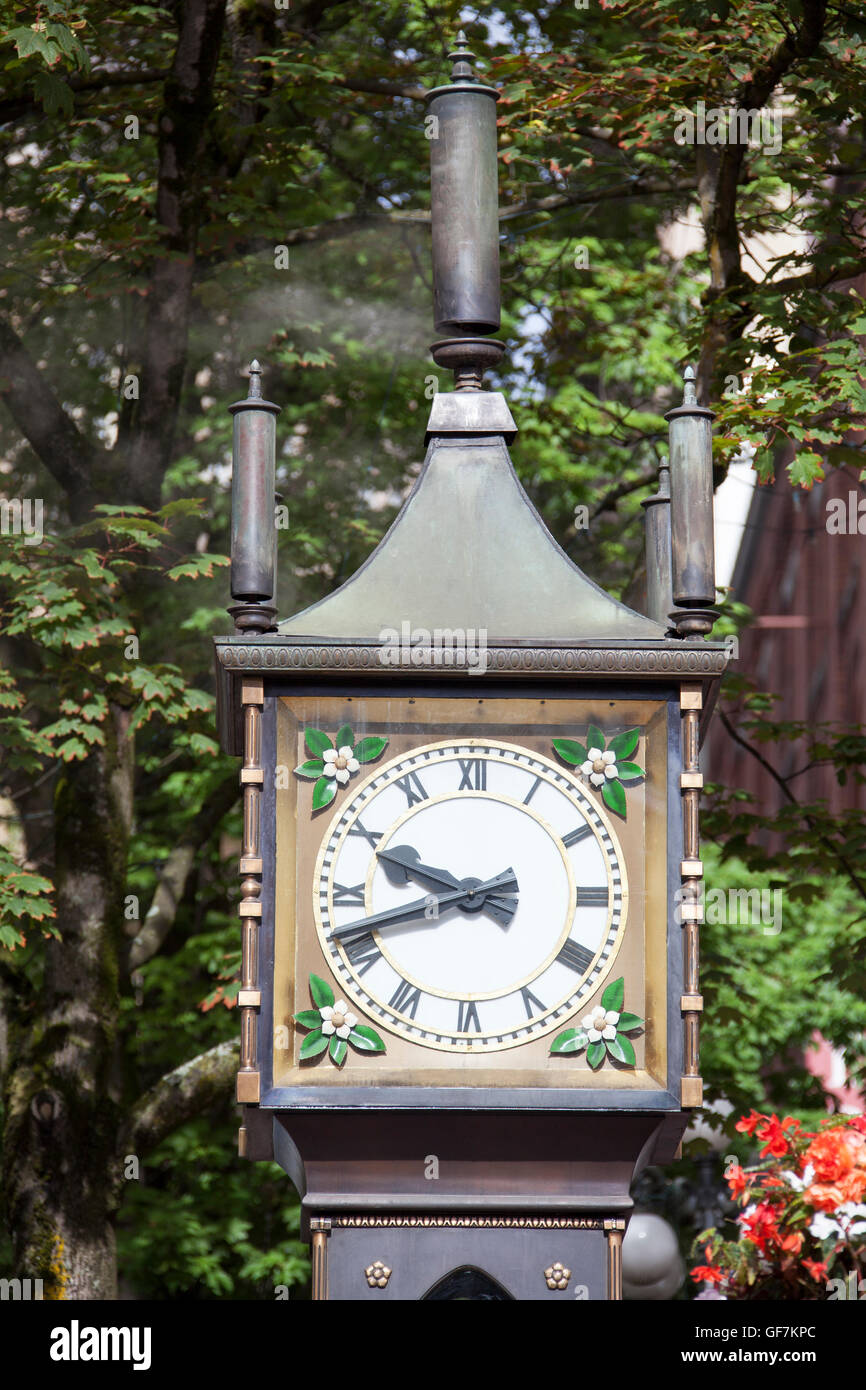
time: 9:42
